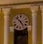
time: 4:52
